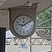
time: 9:09
